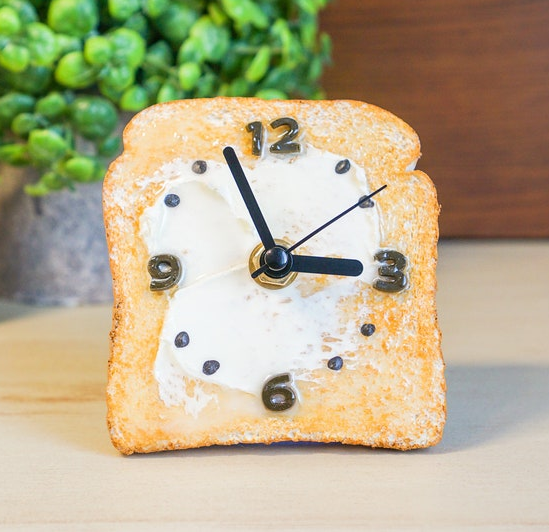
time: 2:56
